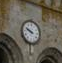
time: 9:48
